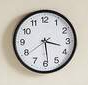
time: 3:29
